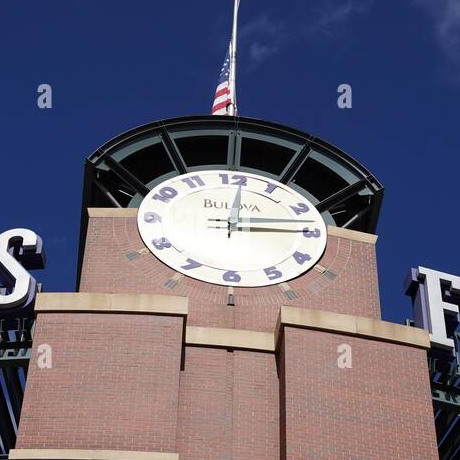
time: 3:01
